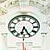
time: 6:25
